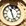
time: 11:26
